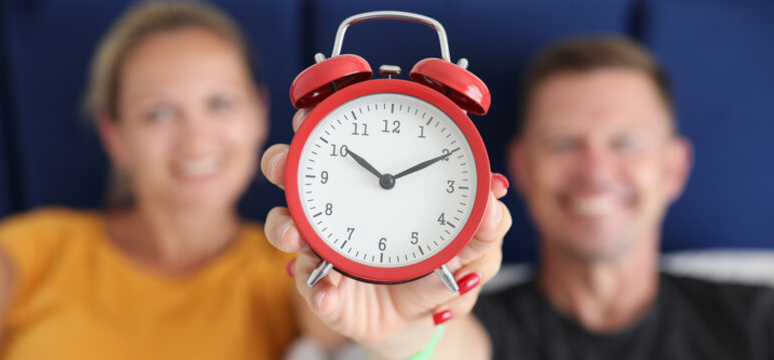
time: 10:10
